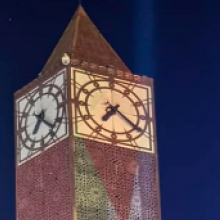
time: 7:21
